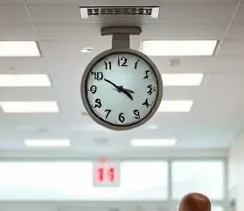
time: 3:50
